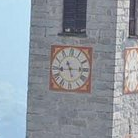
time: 11:14
